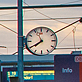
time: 7:39
